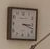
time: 3:18
